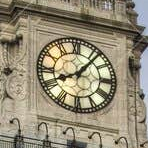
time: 8:06
